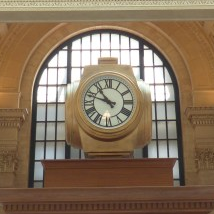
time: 10:47
